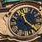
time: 11:21
